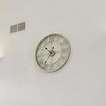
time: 10:35
